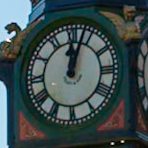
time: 12:03
